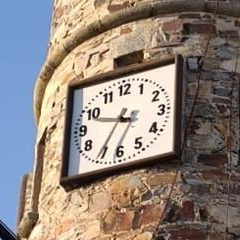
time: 9:35
